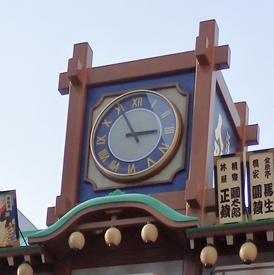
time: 2:55
